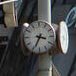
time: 3:34
